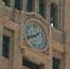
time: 1:41
